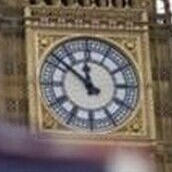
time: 11:51
